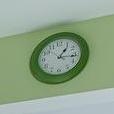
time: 1:16
